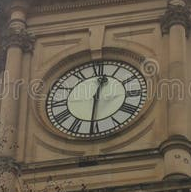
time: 12:30
